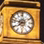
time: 7:46
